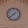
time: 1:38
